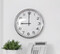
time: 8:59
